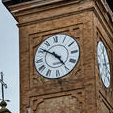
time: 4:50
